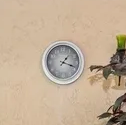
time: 1:18
